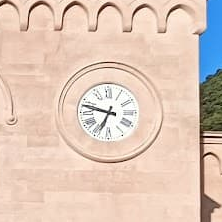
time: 6:47
